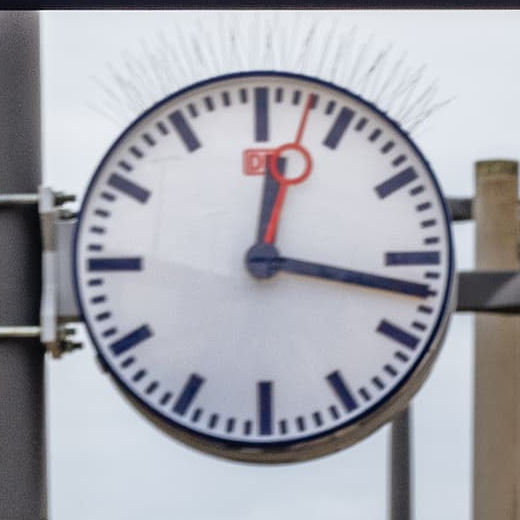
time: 12:17
